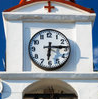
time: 6:14
